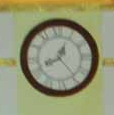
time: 12:41
